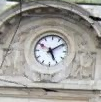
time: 5:08
